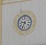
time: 9:34
